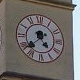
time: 4:38
